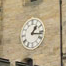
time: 1:16
